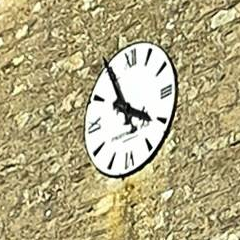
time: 3:55
